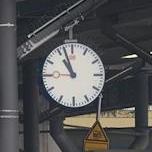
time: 10:56
